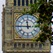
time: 11:45
